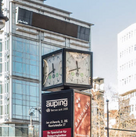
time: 11:42
